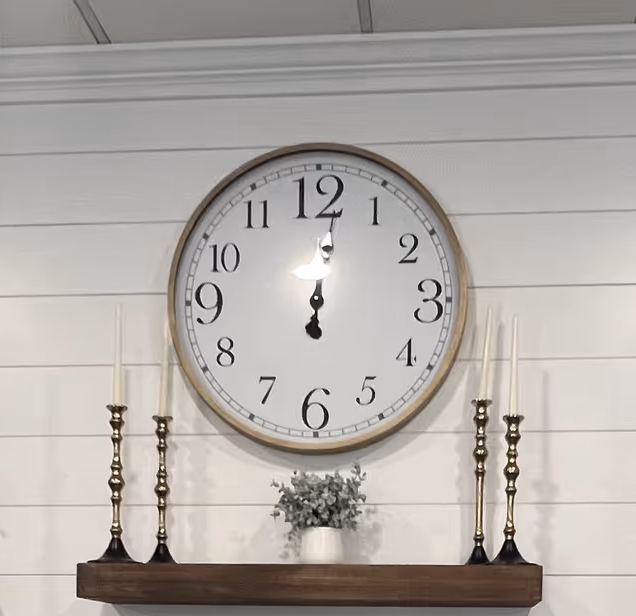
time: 12:01
